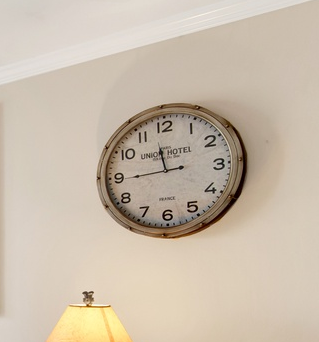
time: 11:44
